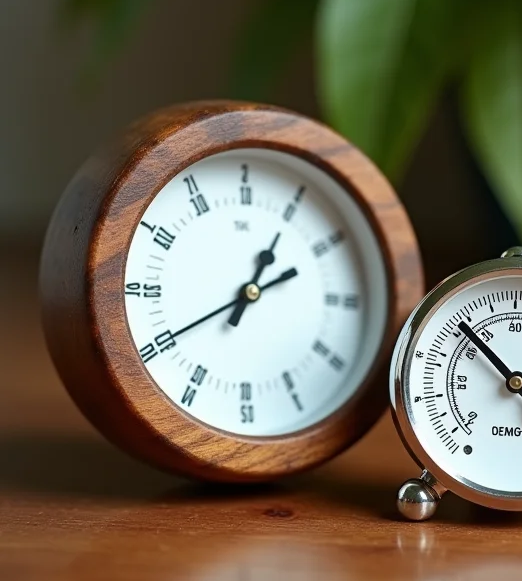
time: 1:10
